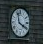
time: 3:58
